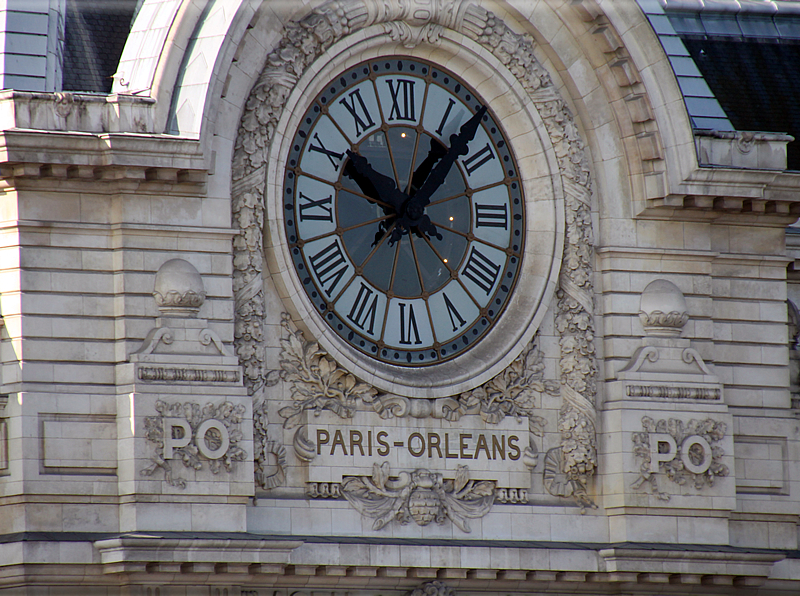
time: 10:07
